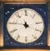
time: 11:46
